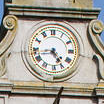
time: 4:43
